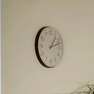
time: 1:12
